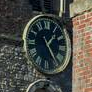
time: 1:24
